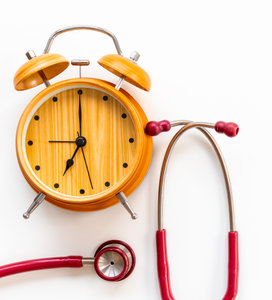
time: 7:00
